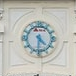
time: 4:30
